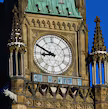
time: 8:49
